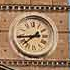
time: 8:38
